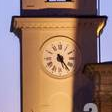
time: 5:23
